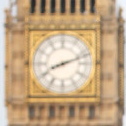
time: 8:11
